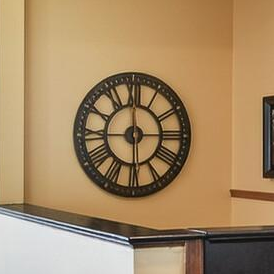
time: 5:59
